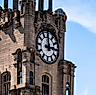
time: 2:59
